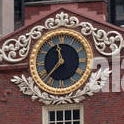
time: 11:37
